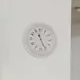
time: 11:25
